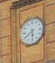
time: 5:38
